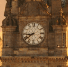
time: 8:39
